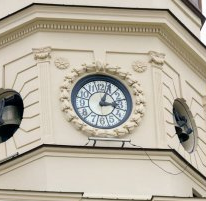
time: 3:04
